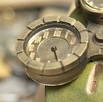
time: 5:26
